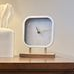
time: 11:13
